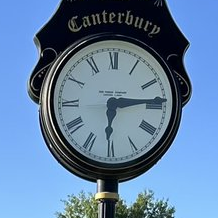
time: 6:14
